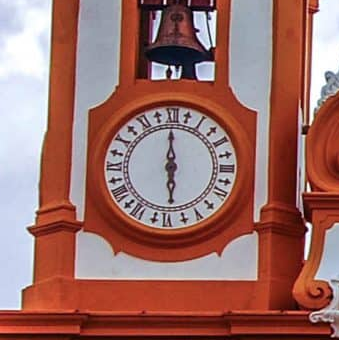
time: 5:59
